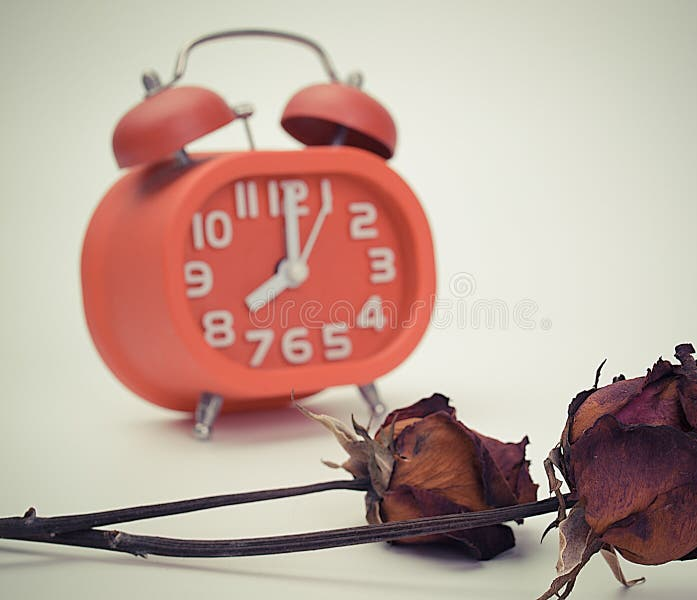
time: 8:00
